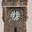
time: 7:00
